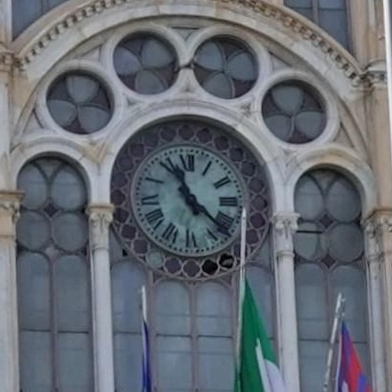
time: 11:21
